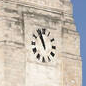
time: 10:56
